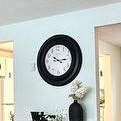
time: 10:14
